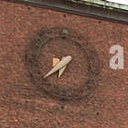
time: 6:38
